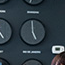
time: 4:59
